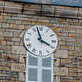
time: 3:57
